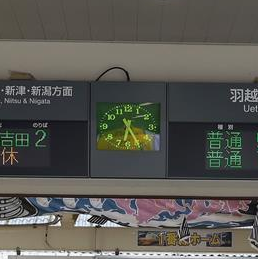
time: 6:25
